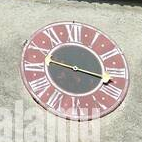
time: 9:17
